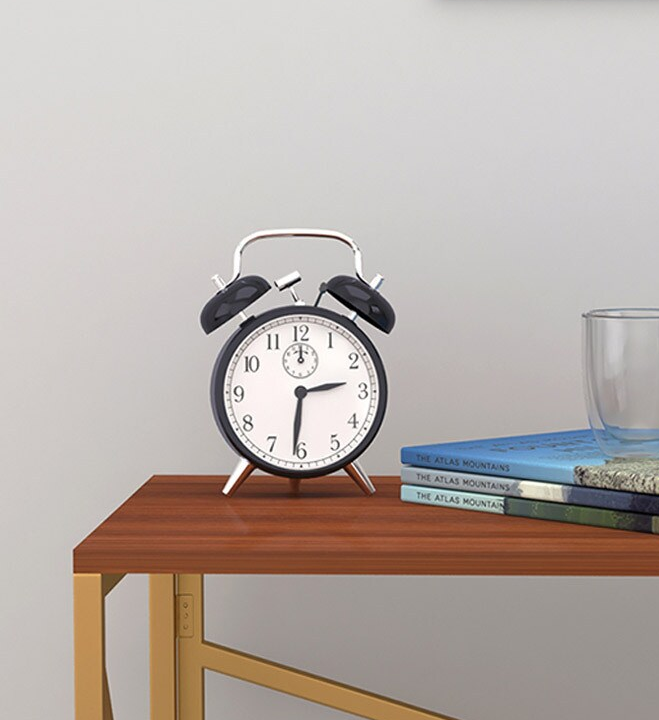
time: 2:31
